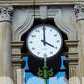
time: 4:00
